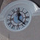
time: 12:22
